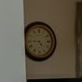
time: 4:44
